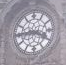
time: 3:44
